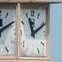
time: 11:10
